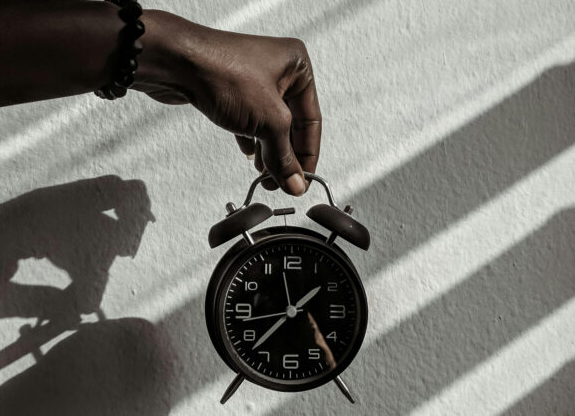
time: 1:37
